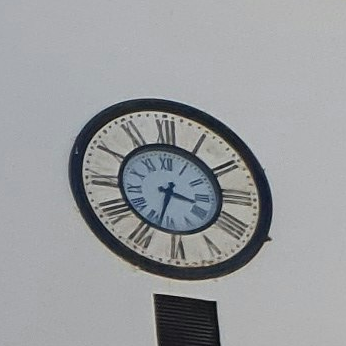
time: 3:33
